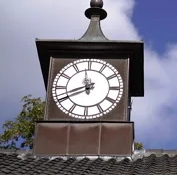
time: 11:41
